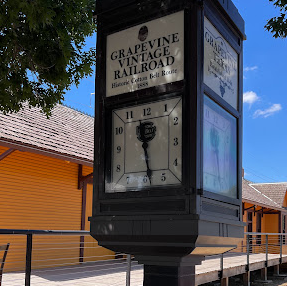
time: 11:28
